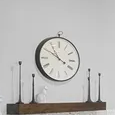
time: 3:50
